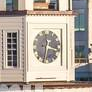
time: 3:32
